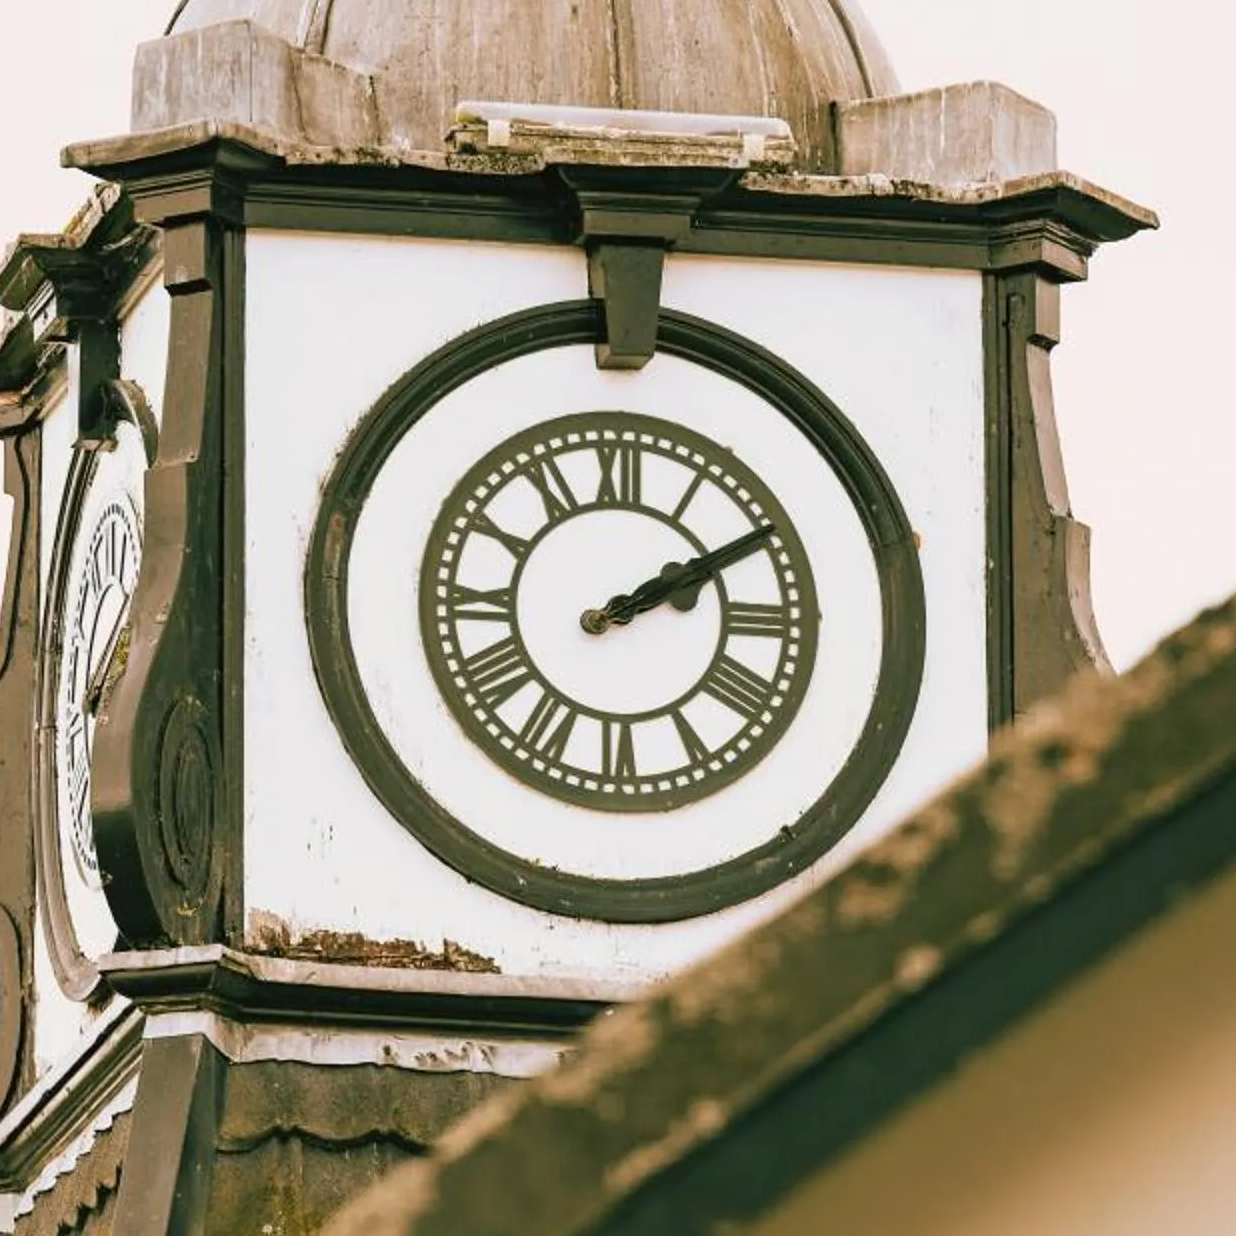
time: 2:09
